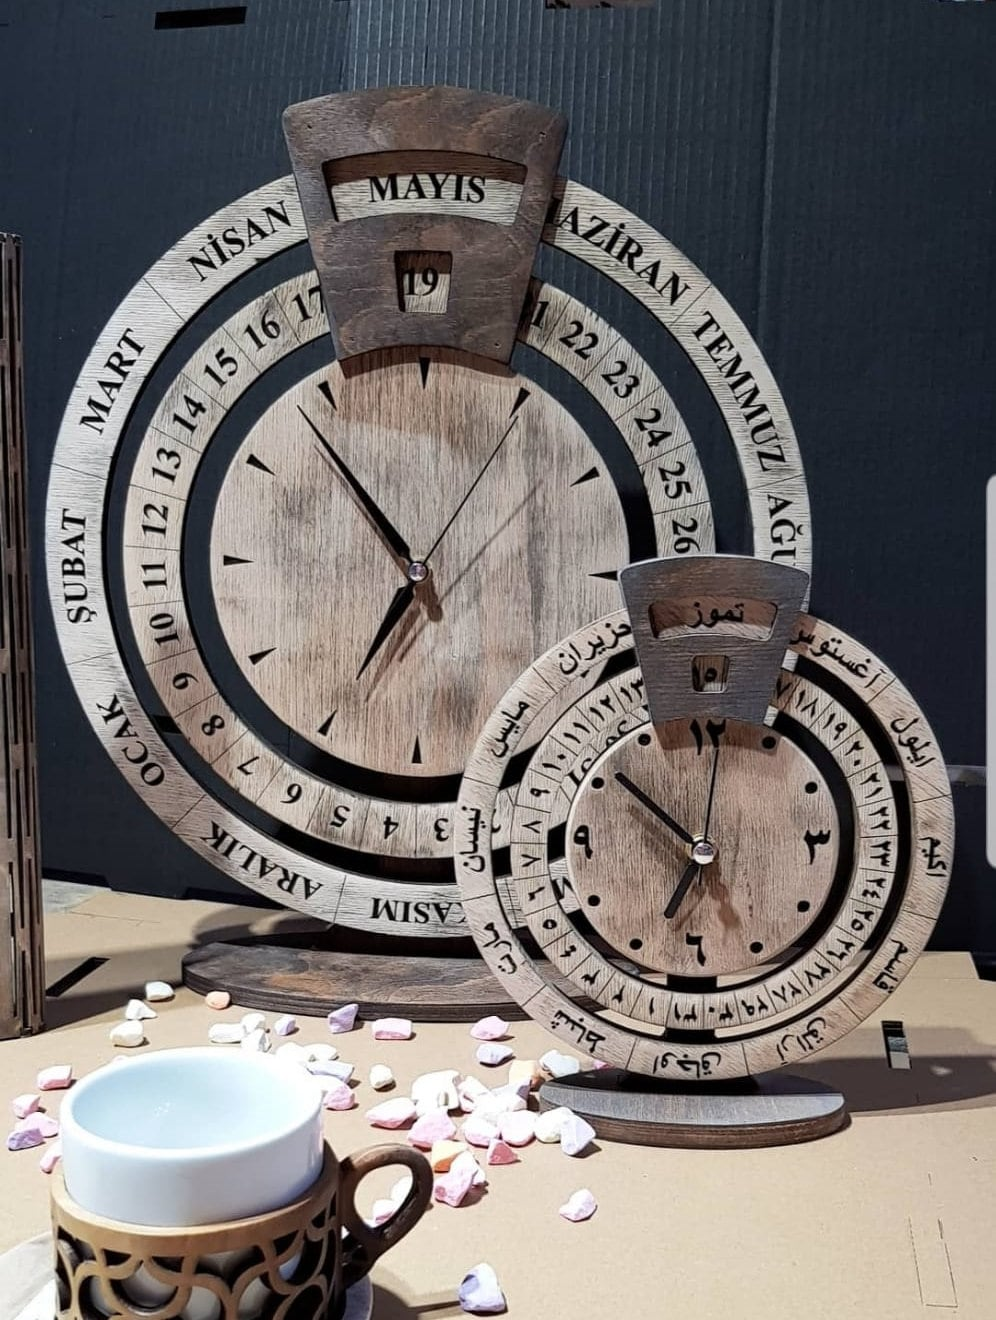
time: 6:53
